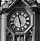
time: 11:28
